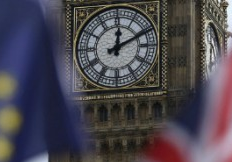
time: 12:10
